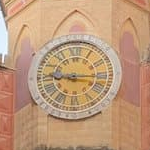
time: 9:15
